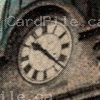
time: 10:22
